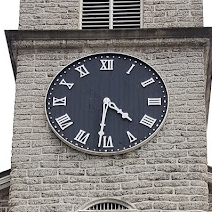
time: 4:31
